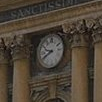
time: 9:40
